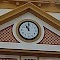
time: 11:00
